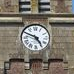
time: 4:48
